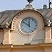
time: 11:51
